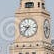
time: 9:37
